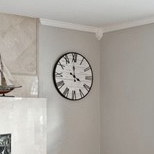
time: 3:58
